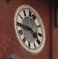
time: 3:44
